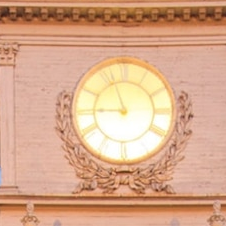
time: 8:56
